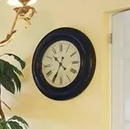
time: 10:34
